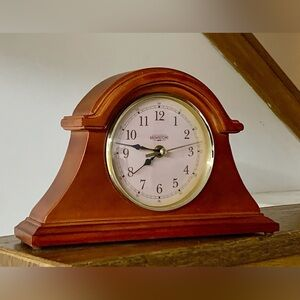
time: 7:46
